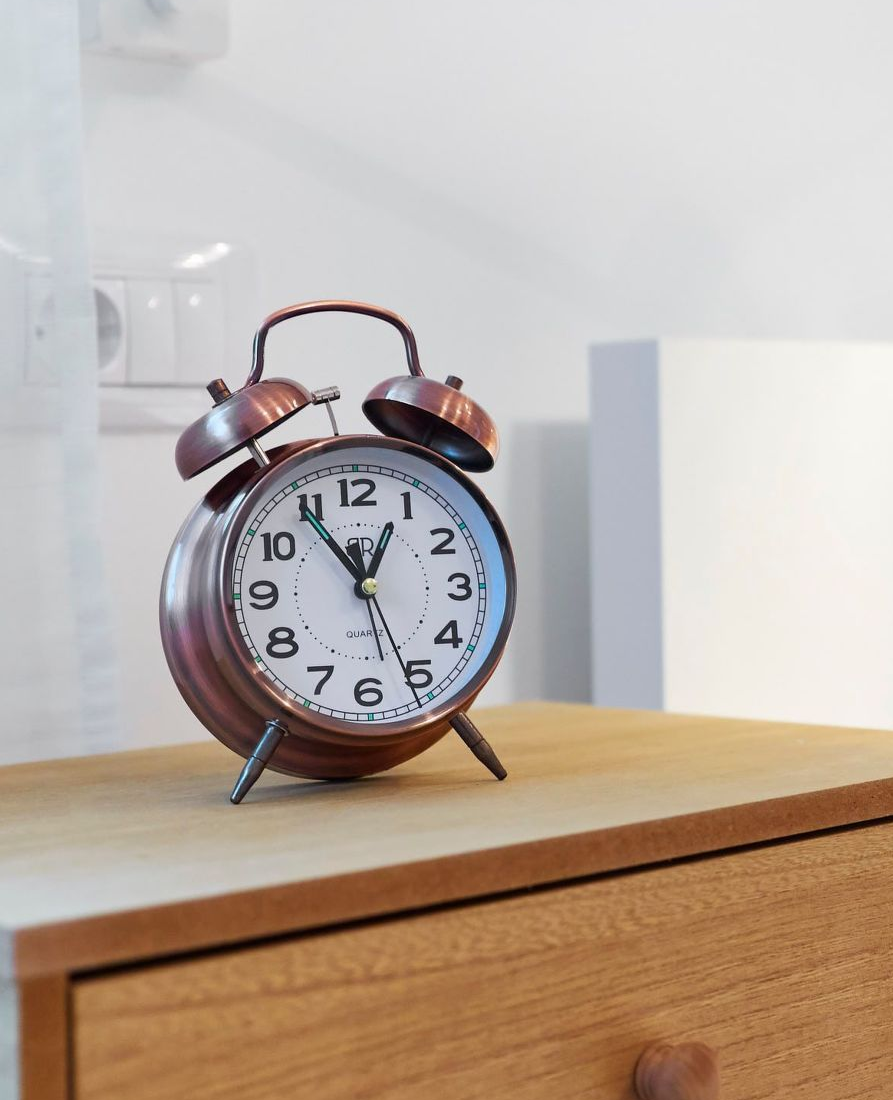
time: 12:54
